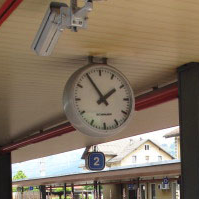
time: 1:54
